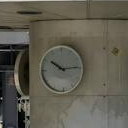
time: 10:14
